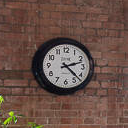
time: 2:22
